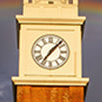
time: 7:07
